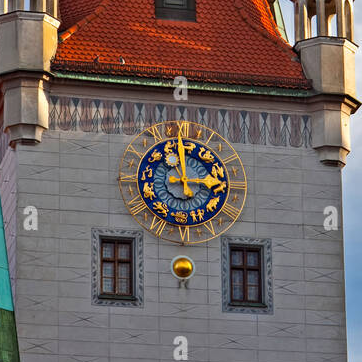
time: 2:58
